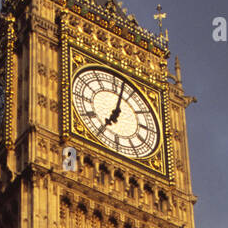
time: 7:02
